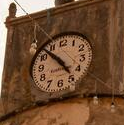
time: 4:52
